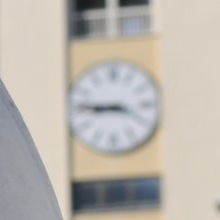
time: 8:46
